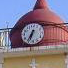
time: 6:35
